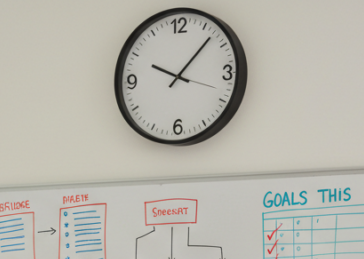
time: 10:07
